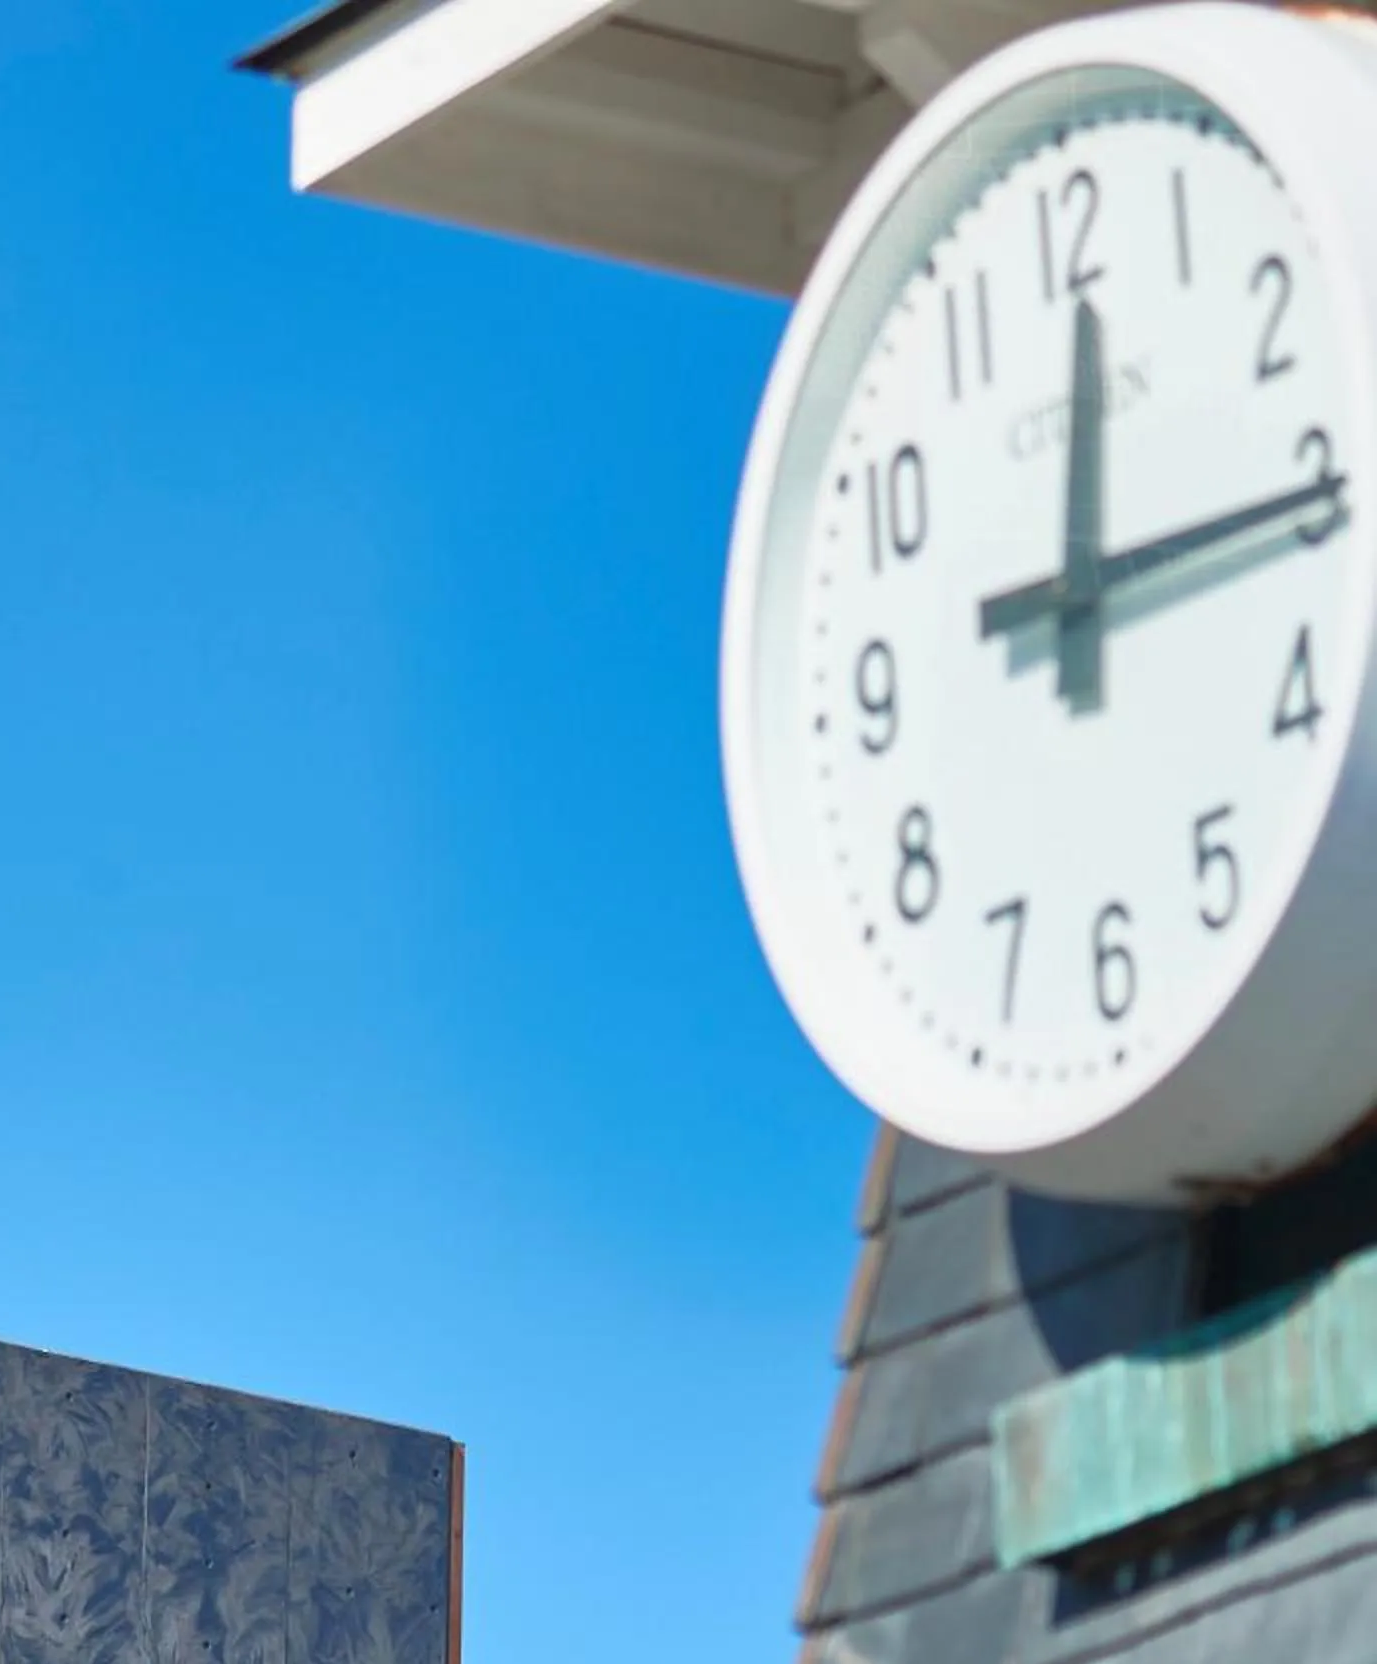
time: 12:15
